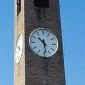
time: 10:28
